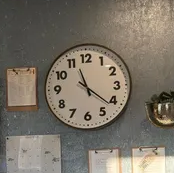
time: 11:21
